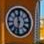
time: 11:32
